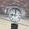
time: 9:01
